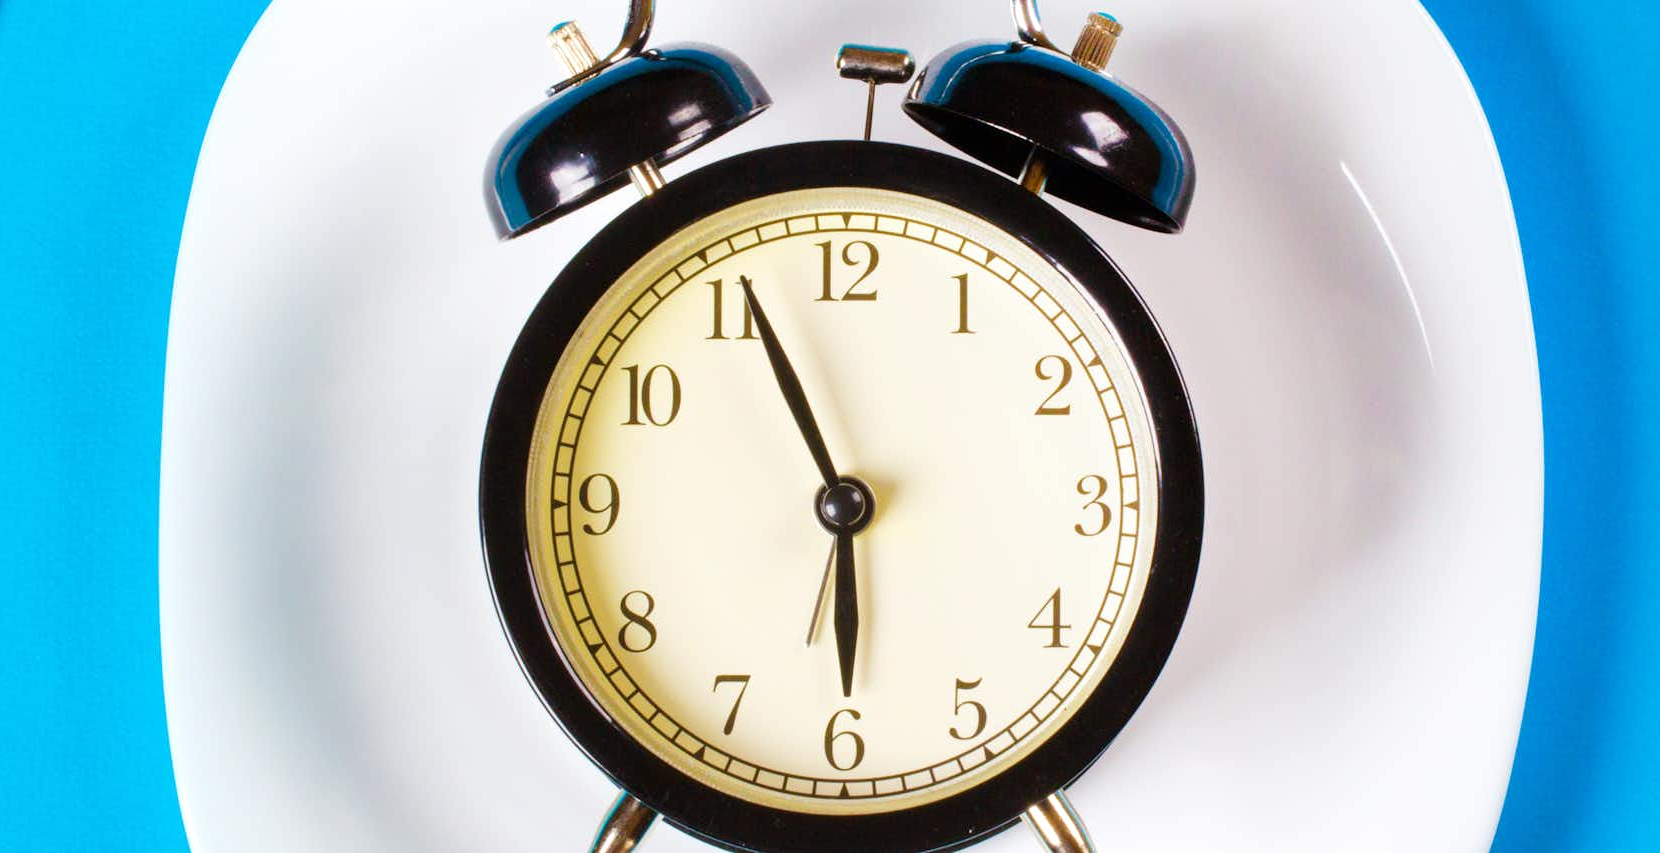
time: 5:55
